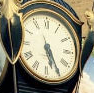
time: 5:24
